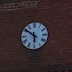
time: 5:50
